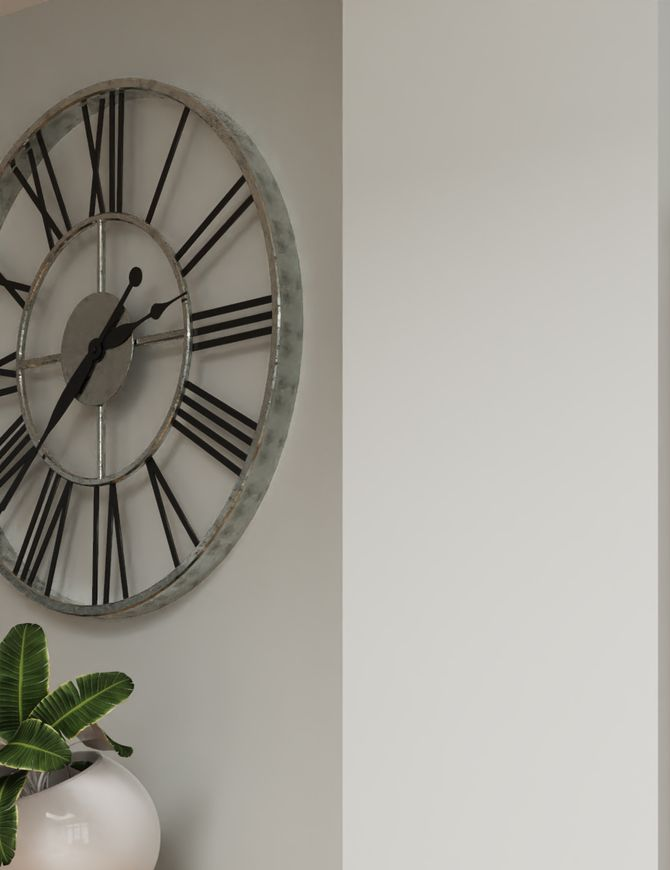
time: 2:38
